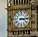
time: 3:14
